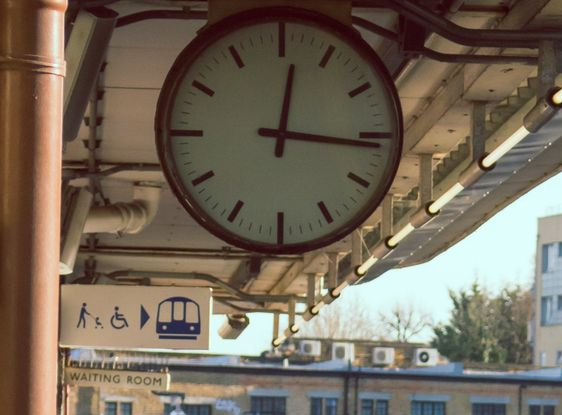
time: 12:16
